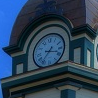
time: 3:36
